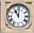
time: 11:01
